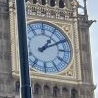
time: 1:10
